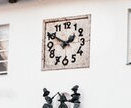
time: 1:50
